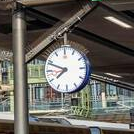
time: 7:48
